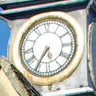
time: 5:35
